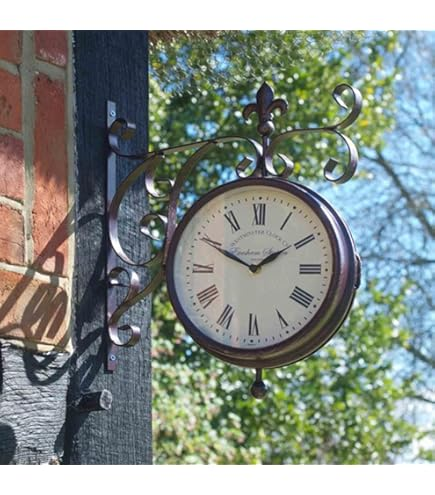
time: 1:49
